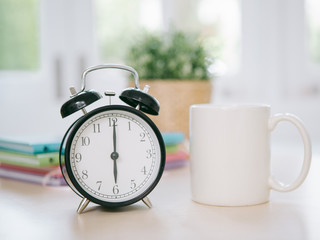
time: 6:00
